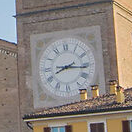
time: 8:16
